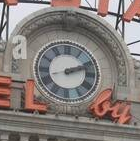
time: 2:12
